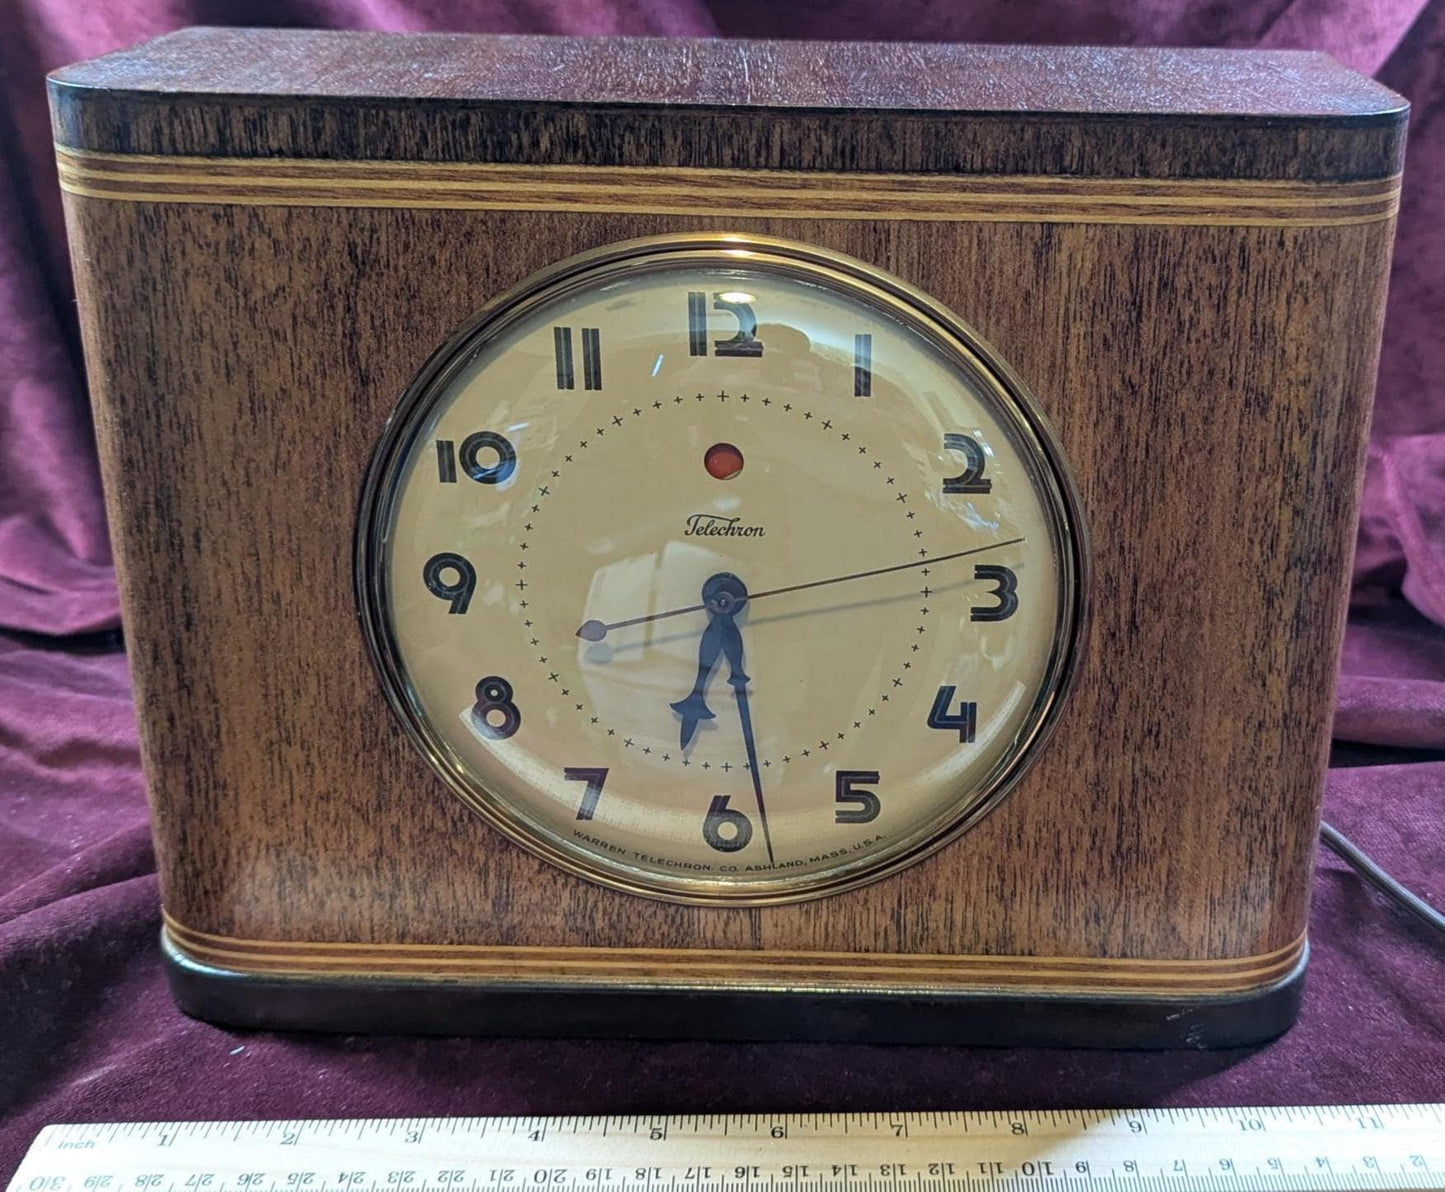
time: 6:28
